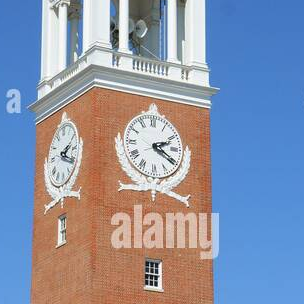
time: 2:19
